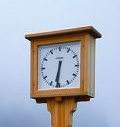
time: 6:31
